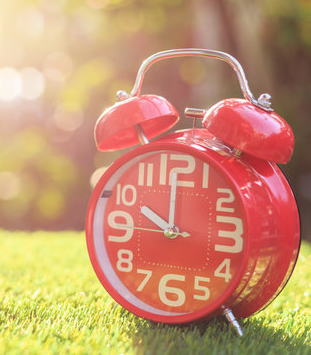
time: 10:00
